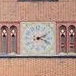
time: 2:18
